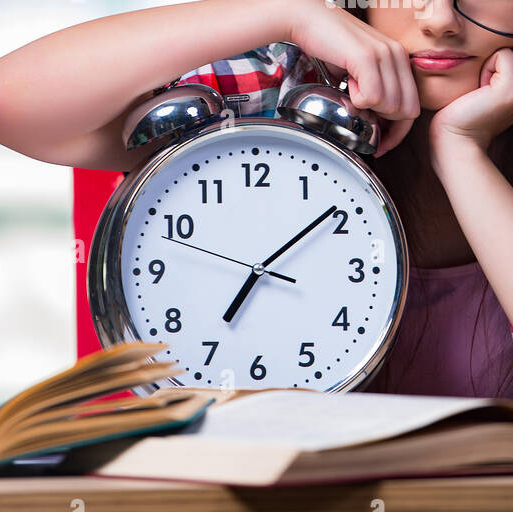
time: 7:08
